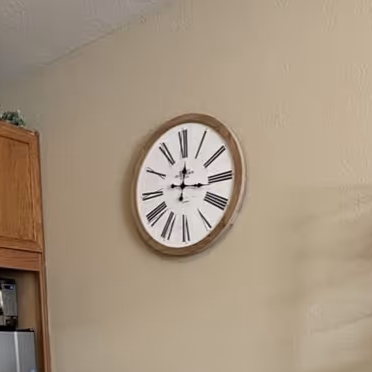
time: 12:16
